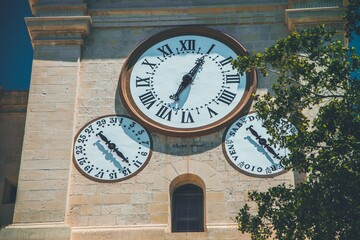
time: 7:05
